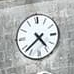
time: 4:38
